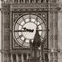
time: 9:44
